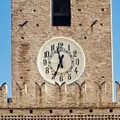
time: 11:34
